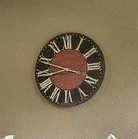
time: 8:48
